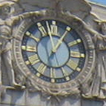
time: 12:57
